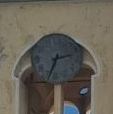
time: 2:34
